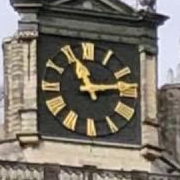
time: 11:13
